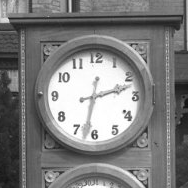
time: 2:32
